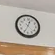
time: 12:34
